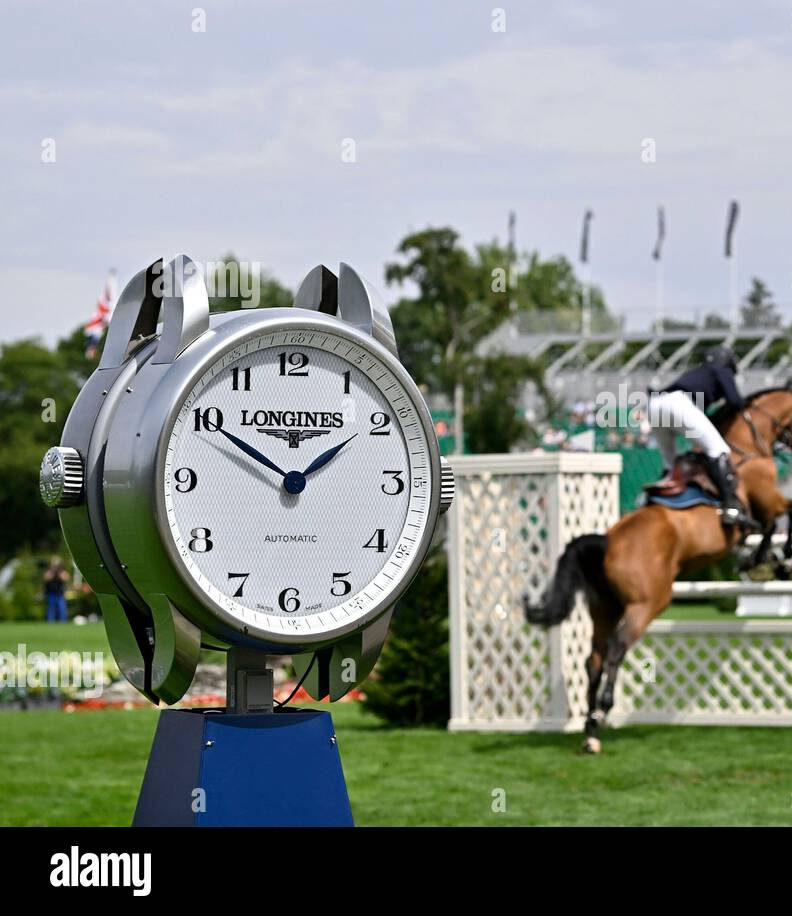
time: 1:50
